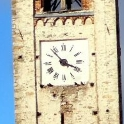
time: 3:53
